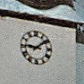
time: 9:09
